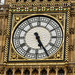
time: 5:25
